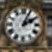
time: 2:04
